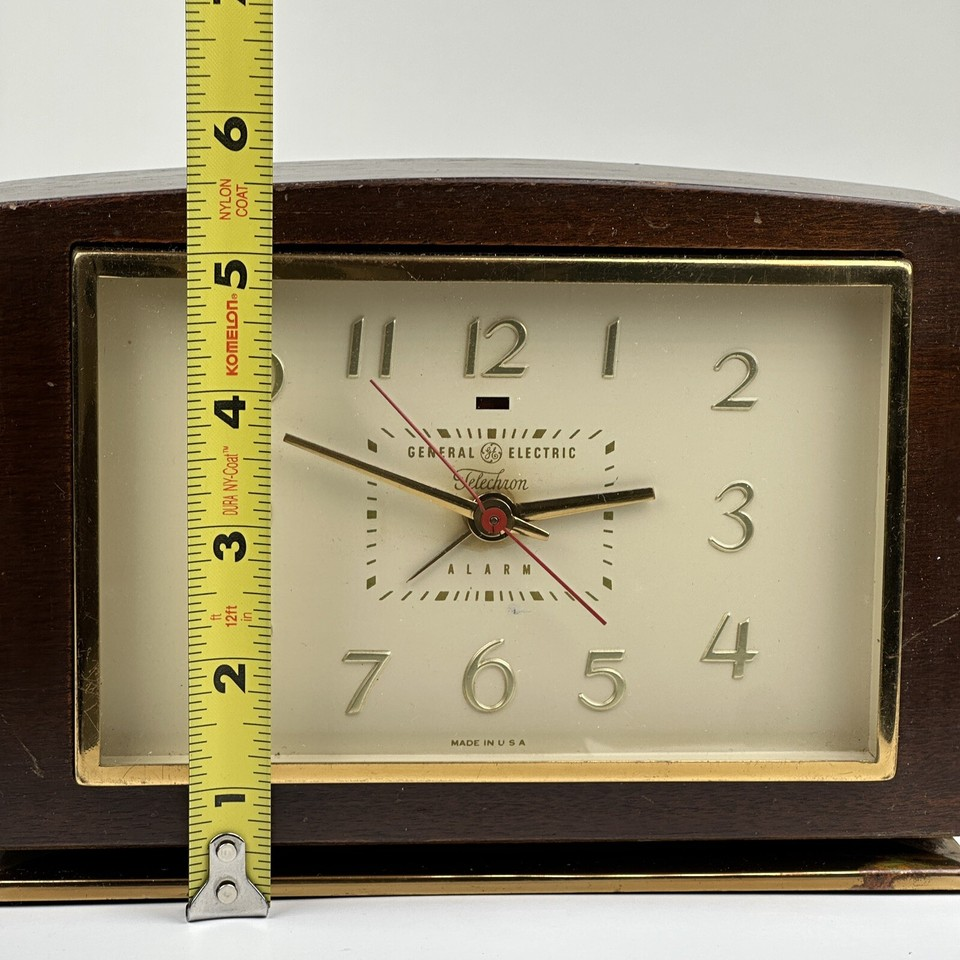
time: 2:49
